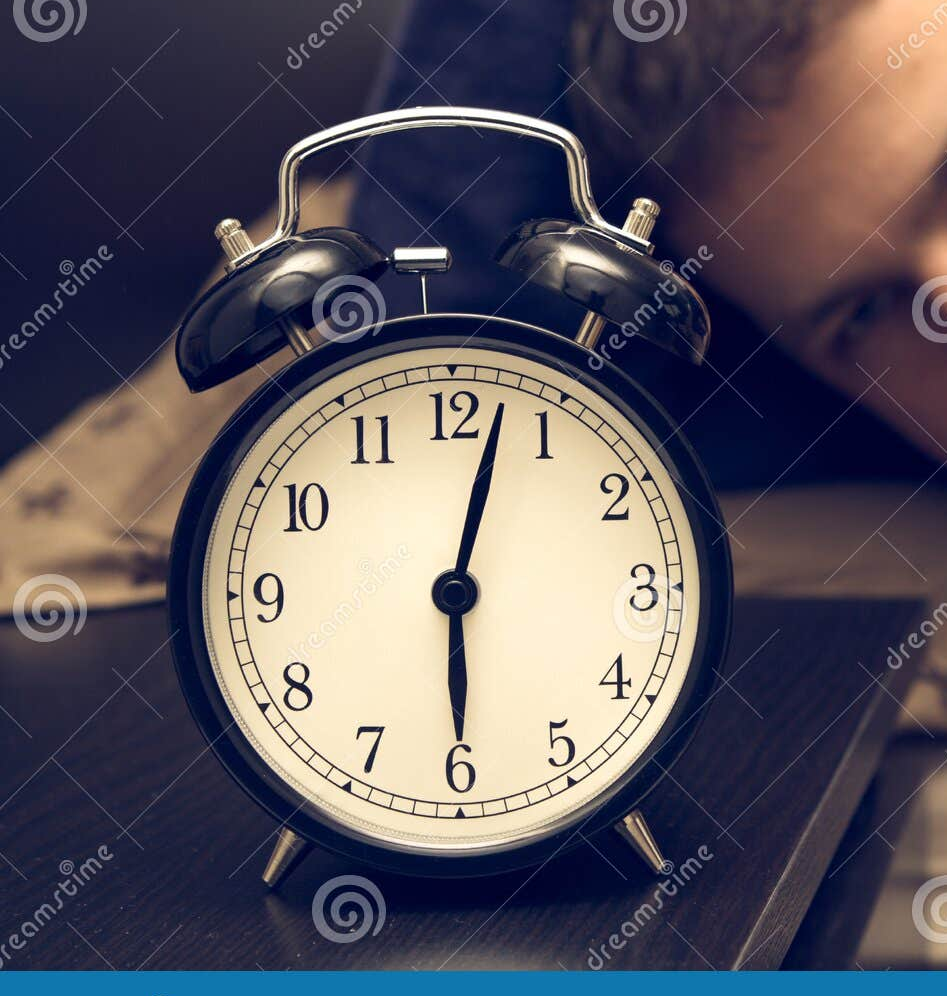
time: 6:02
